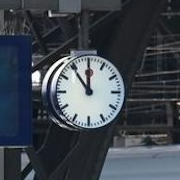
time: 11:53
